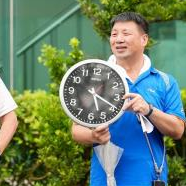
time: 5:19
